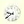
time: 9:39
